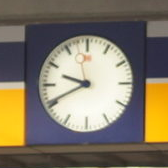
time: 9:40
